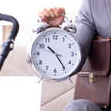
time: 10:24
